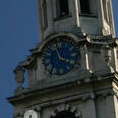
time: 3:58
